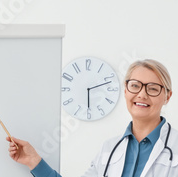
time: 6:12
